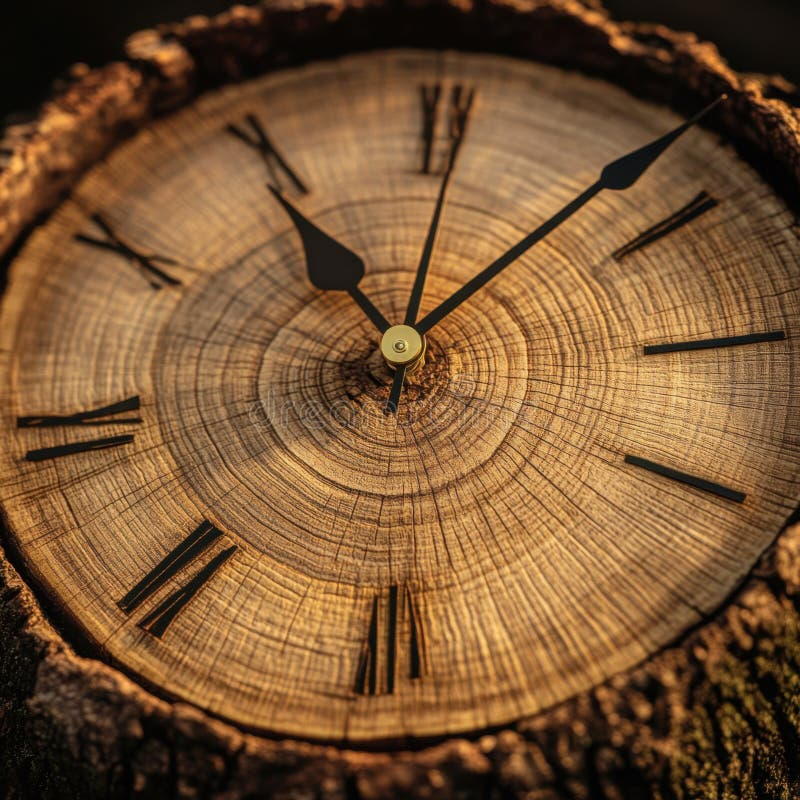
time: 11:07
